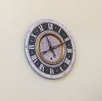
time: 11:11
